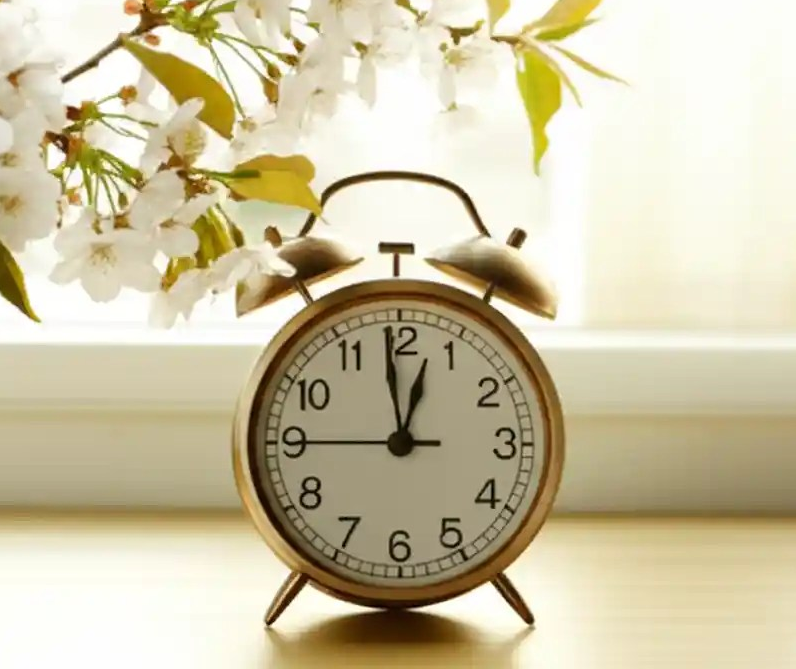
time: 12:58
